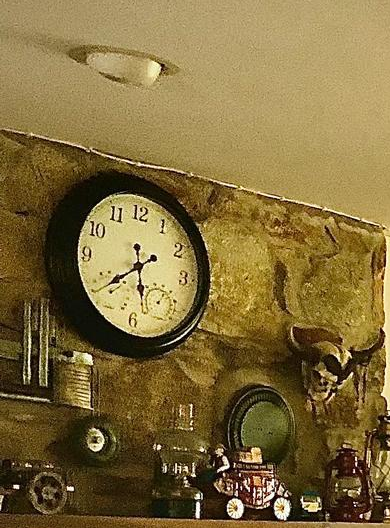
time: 5:38
